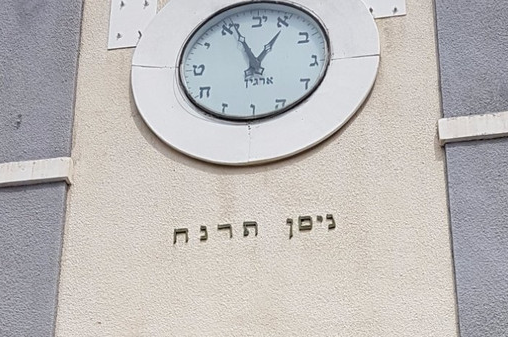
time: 12:56
